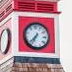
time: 7:34
